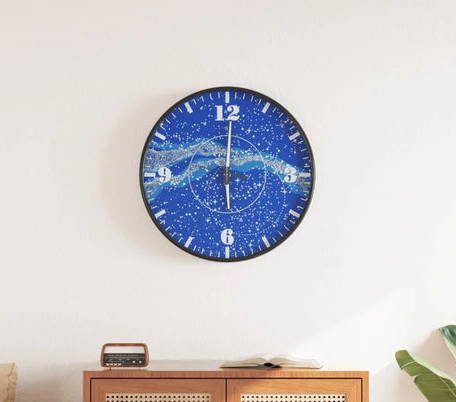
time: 6:00
